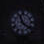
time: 11:21
